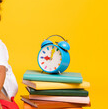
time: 9:01
